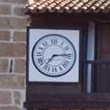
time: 7:14
